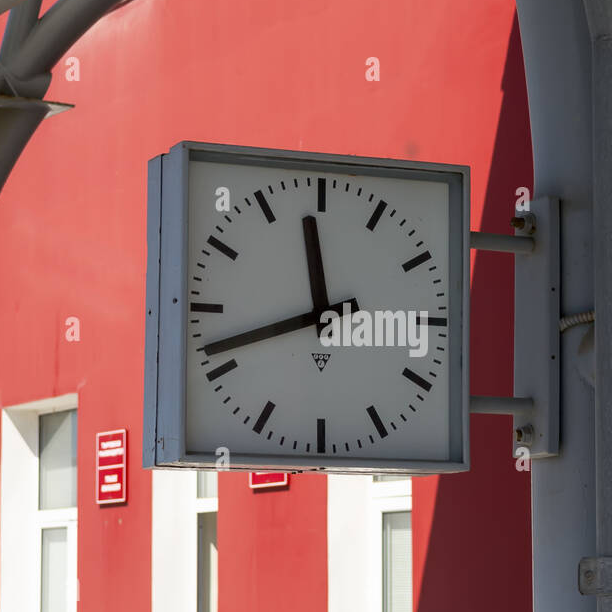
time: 11:41
